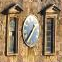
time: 7:37
